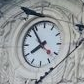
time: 7:53
